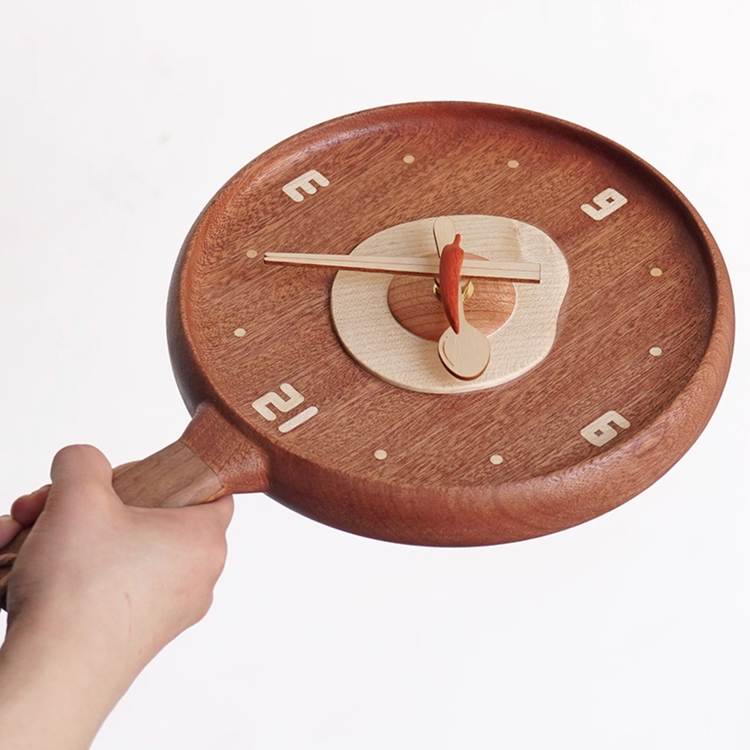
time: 11:45
